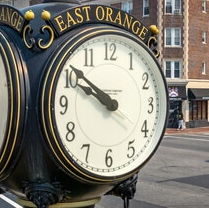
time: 9:51
